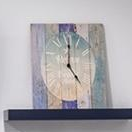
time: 4:00
